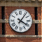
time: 4:06
